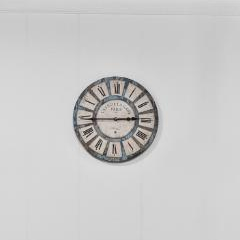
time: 2:45
